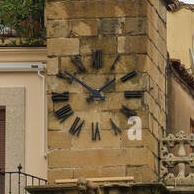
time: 1:51
